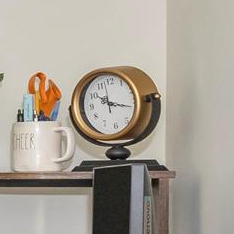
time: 10:15
